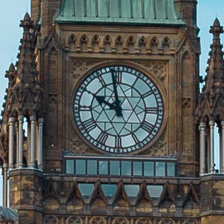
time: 9:57
